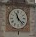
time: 11:22
